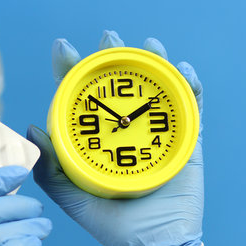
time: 1:51
